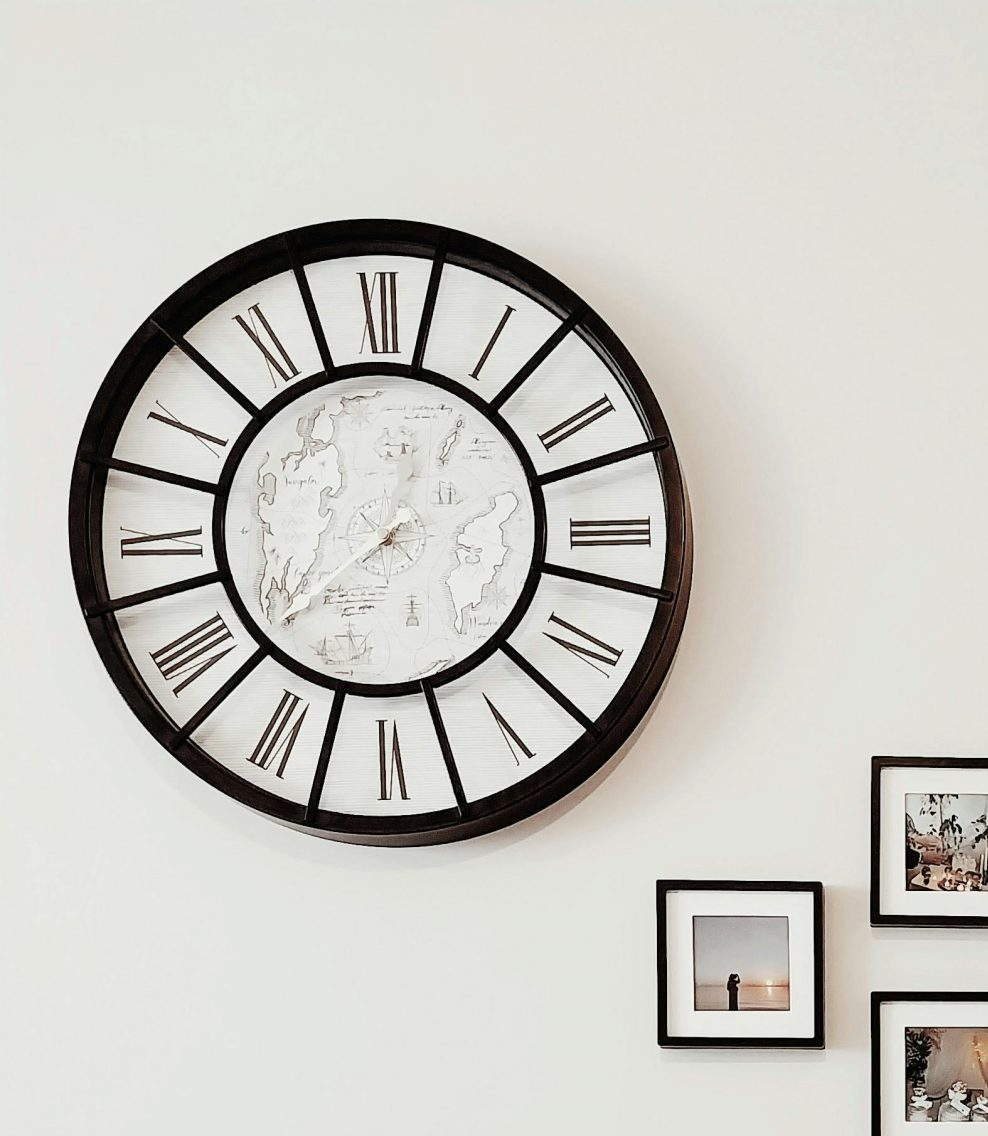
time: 8:38
